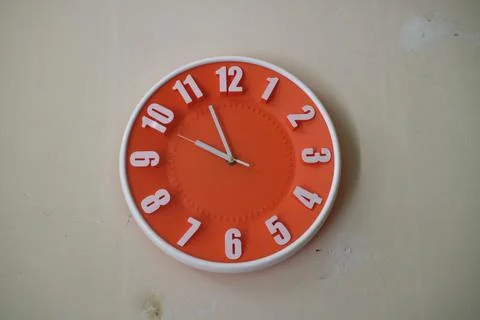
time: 9:56
